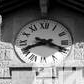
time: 8:18
